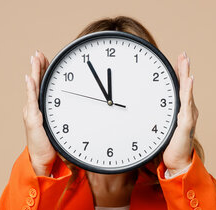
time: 11:54
